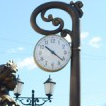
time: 10:21
